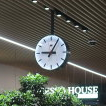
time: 9:05
